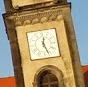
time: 12:26
